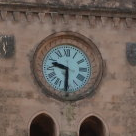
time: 9:30
